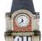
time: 11:37
